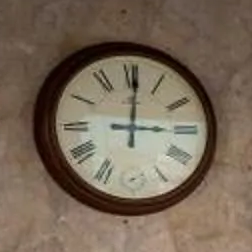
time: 3:00
